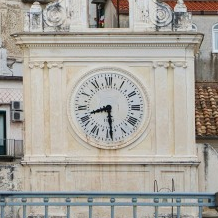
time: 8:29
